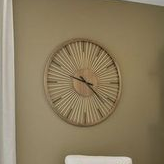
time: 9:22
